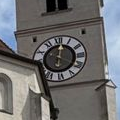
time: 12:19
